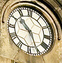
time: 10:25
